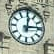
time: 12:13
